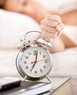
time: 7:01
